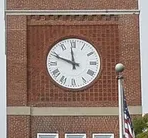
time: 11:48
